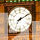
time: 7:10
